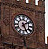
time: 5:09
